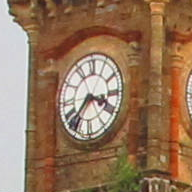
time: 3:37
